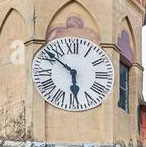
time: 5:51
